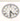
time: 4:31
